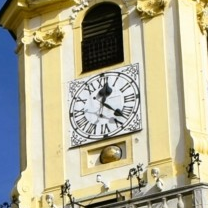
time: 12:22
